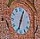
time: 12:32
